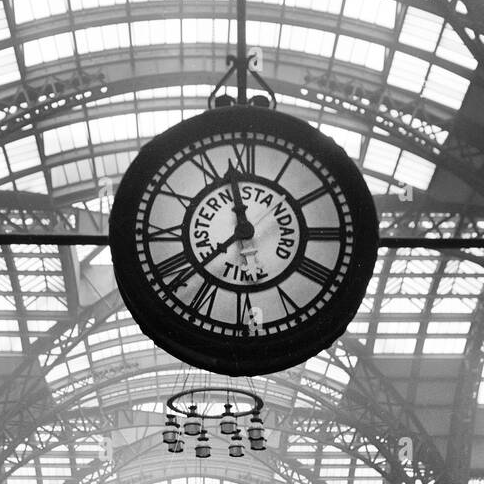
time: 11:37
